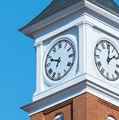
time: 6:48
